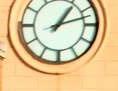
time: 1:12
